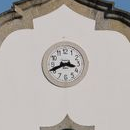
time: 3:41
